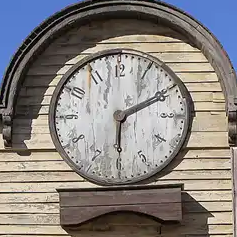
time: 6:10
